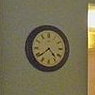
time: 4:38
